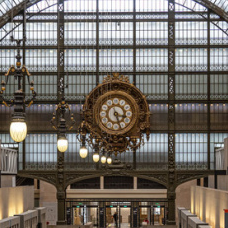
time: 3:27
